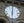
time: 6:00
